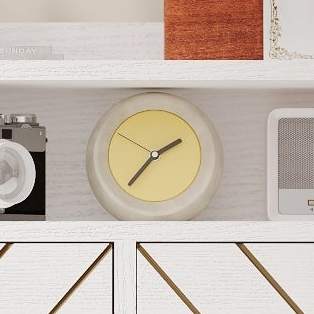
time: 1:36
